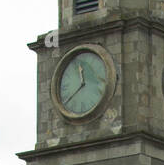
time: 11:38
